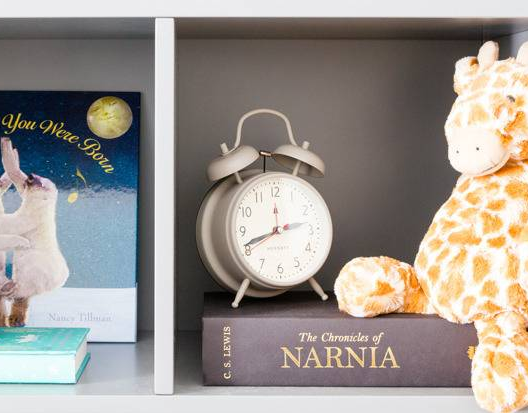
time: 2:41
